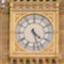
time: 4:27
